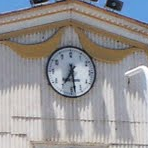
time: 7:28
